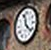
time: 11:21
